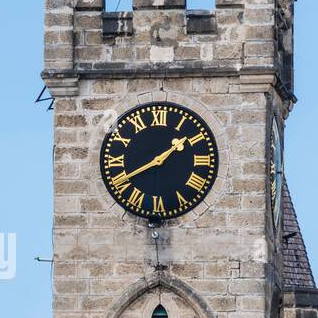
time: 1:40
